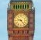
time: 9:23
